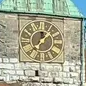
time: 12:07
